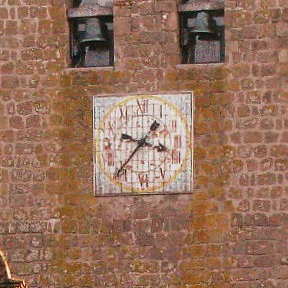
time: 3:37
